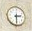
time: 2:29
